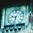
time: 9:33
